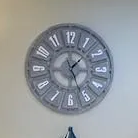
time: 1:26
